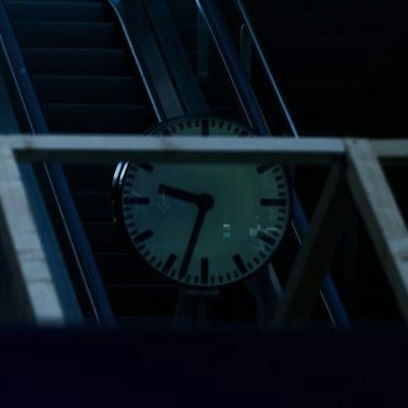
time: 9:33
